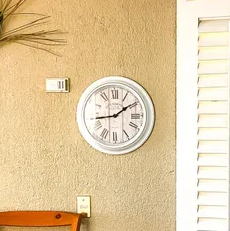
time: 1:43
